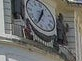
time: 12:34
